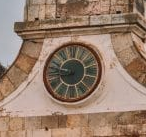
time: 8:47
